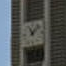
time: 11:07
